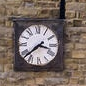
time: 3:38
